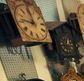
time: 11:46
